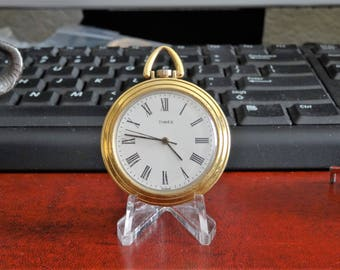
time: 4:46
